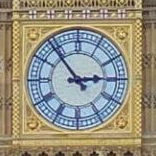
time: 2:53
